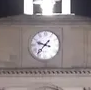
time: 9:36
